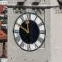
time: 11:50
